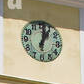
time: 1:01
